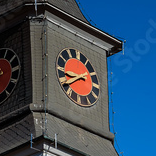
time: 8:39
